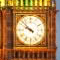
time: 9:52
